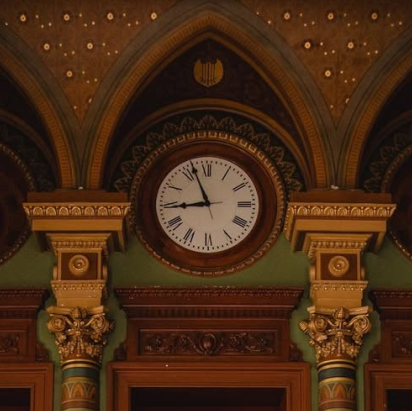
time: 8:56
